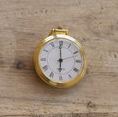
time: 5:59
